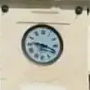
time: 9:18
